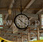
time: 10:20
